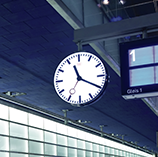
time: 11:19
